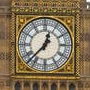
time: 12:37
